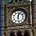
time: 12:28
